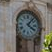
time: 4:06
